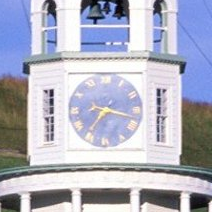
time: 7:17
